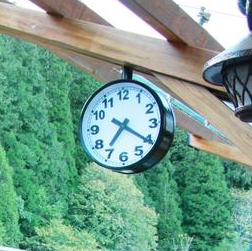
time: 7:20
